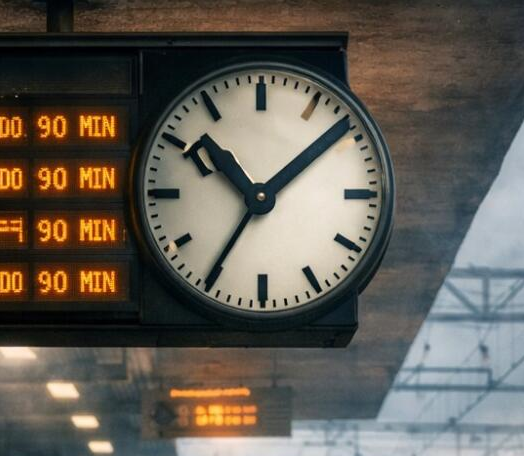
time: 10:35
